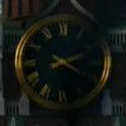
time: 2:20
